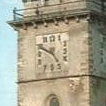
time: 4:49
